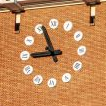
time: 8:56
